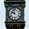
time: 9:57
